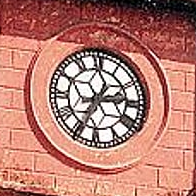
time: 2:34
